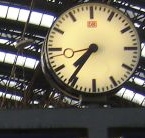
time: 7:36
